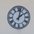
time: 2:02
